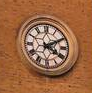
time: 4:10
